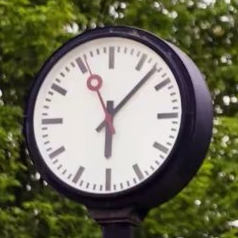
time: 6:07
